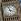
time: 3:57
